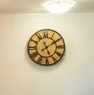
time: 5:09
